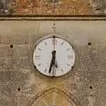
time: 5:32
